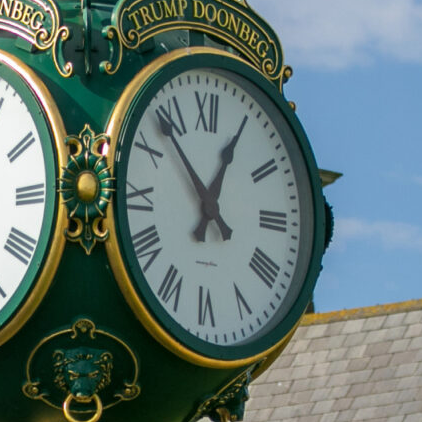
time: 12:53
